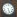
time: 5:26
